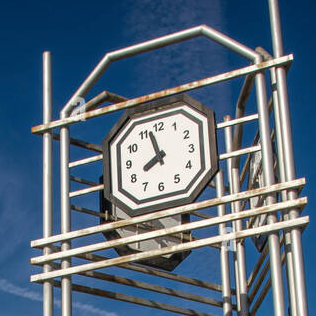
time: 7:57
